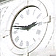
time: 2:48
